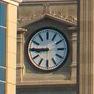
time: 8:45
